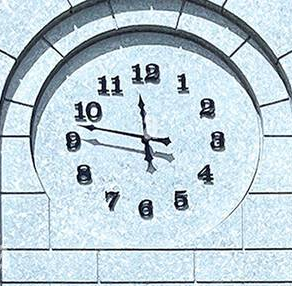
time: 11:46
